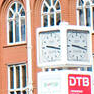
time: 9:17
